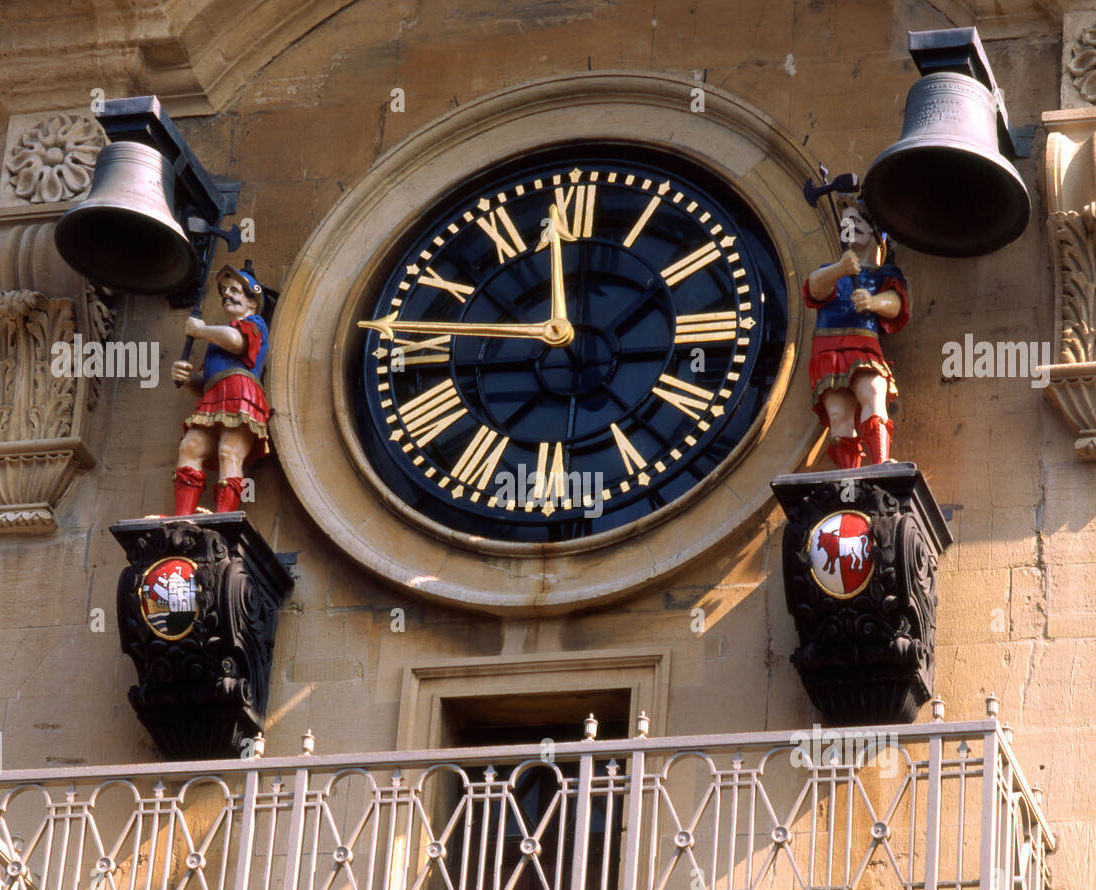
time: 11:46
